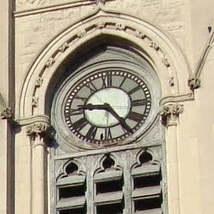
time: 9:23
